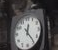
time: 12:23
